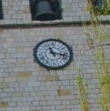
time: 11:16
